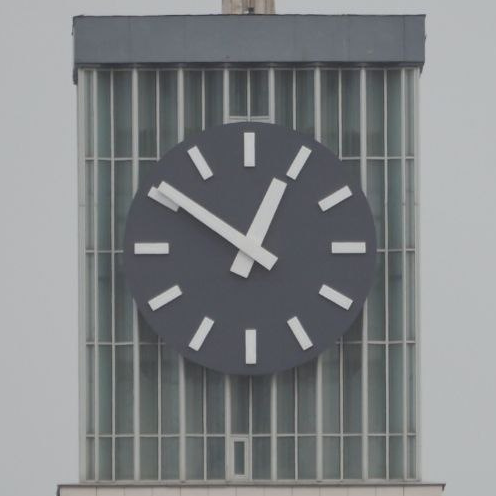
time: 12:50
